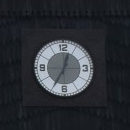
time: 12:34
